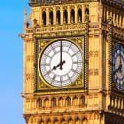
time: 7:59
